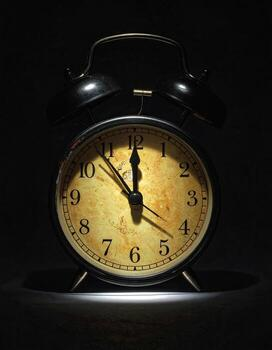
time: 11:53
